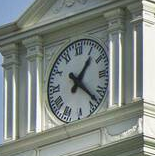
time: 1:22
